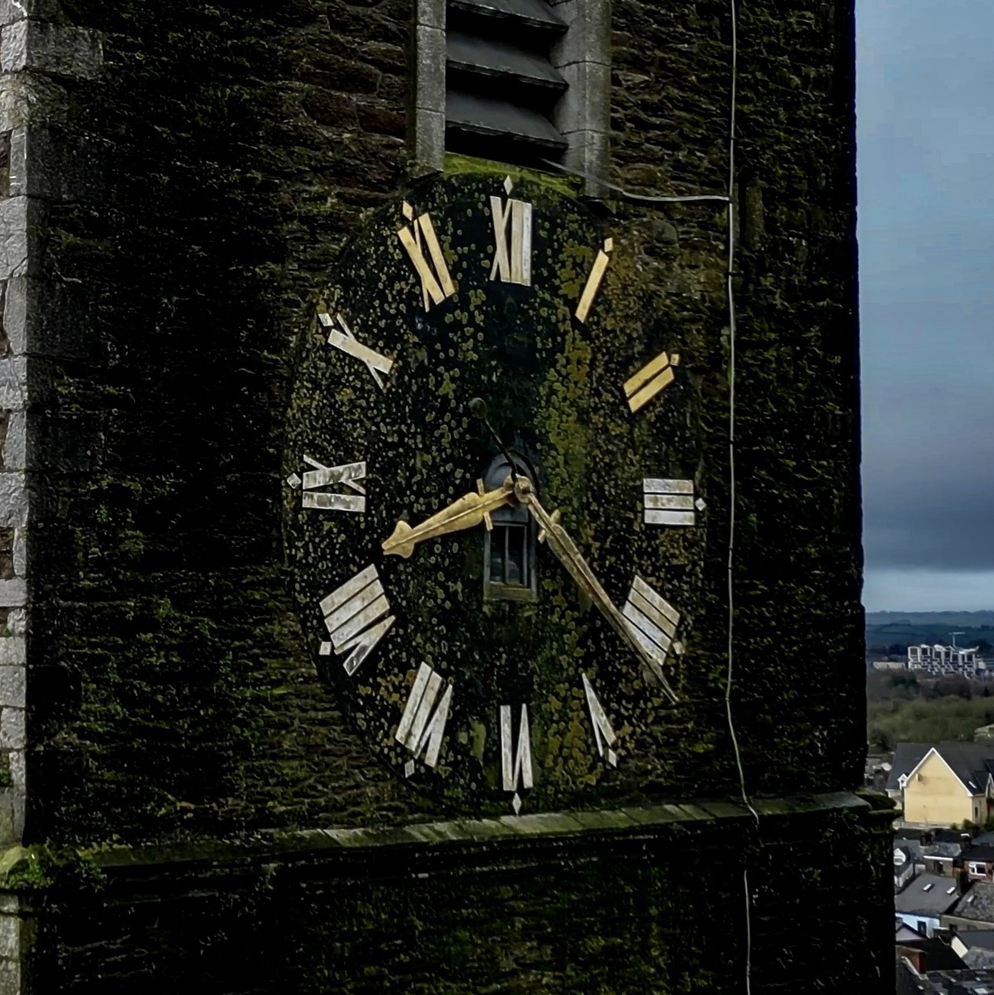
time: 8:21
